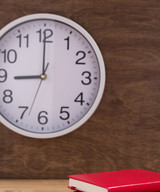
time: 9:00
